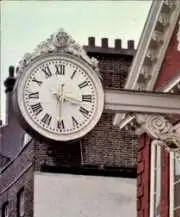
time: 3:30
